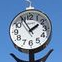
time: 1:55
